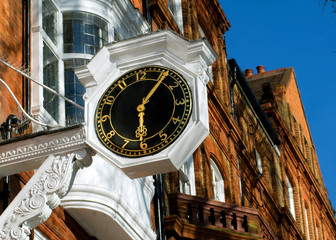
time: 6:06
